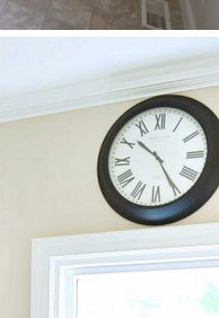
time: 10:24
